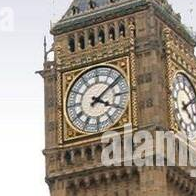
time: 4:09
